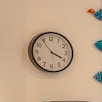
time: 3:54
